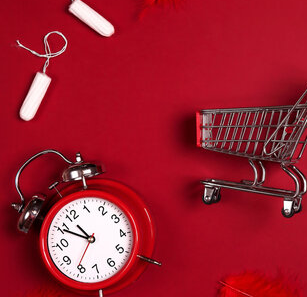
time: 10:49
